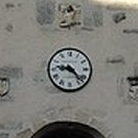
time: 9:22
